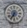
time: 6:35
